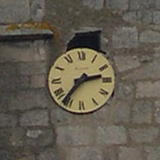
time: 2:36
